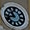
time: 10:42
